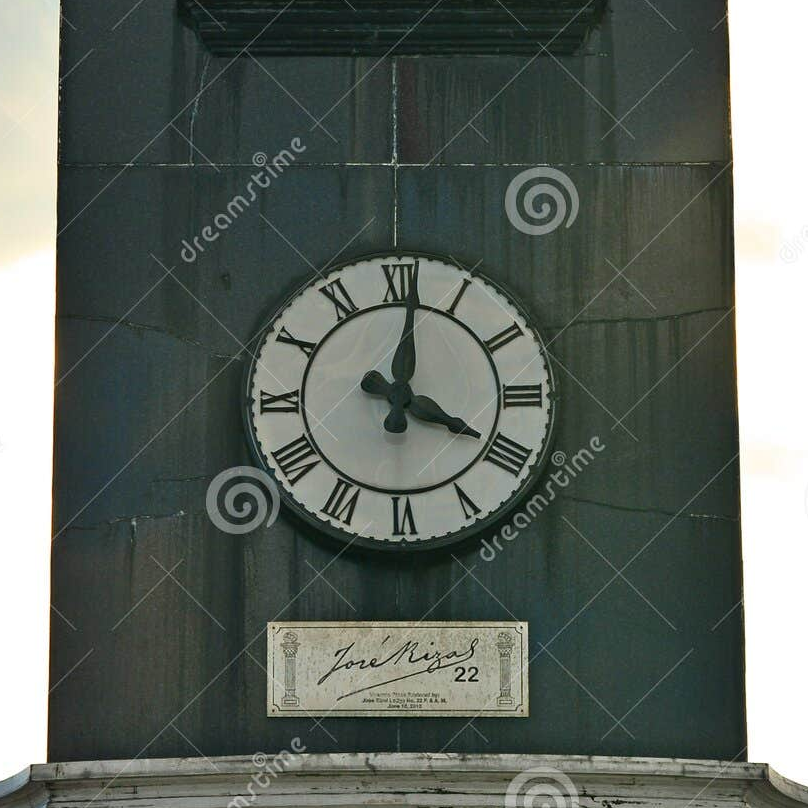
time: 4:01
